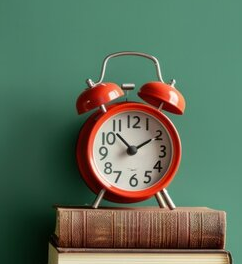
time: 1:52
